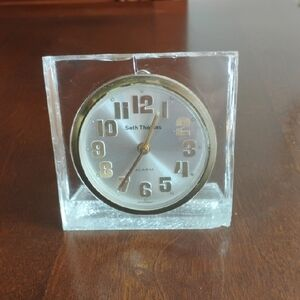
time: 12:35
